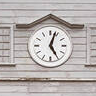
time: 5:03
